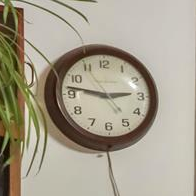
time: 2:46
